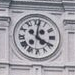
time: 4:01
